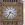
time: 3:34
